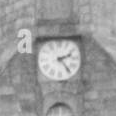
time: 2:23
